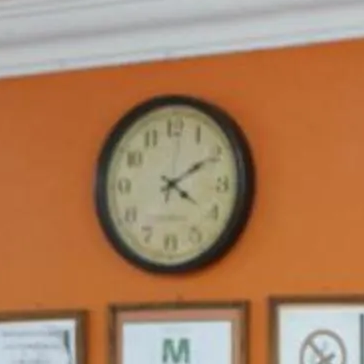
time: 4:09
